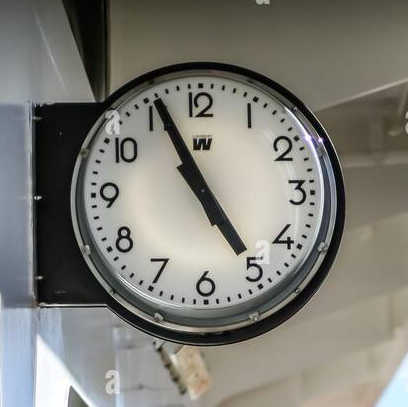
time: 4:55
